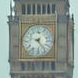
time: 9:23
